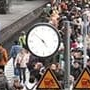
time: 4:52
